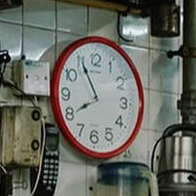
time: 7:55
